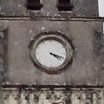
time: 4:19
